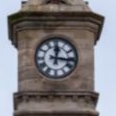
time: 12:16
